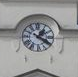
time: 1:20
